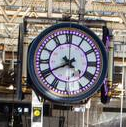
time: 4:40
